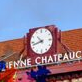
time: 10:42
